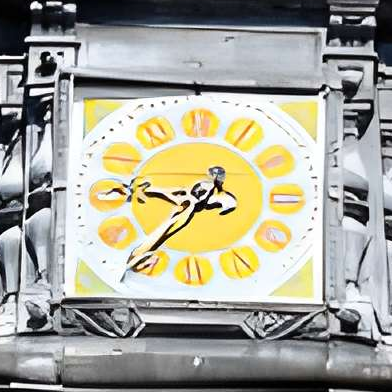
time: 8:36
